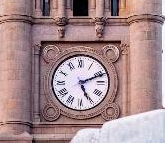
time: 5:11
